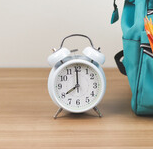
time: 7:59
